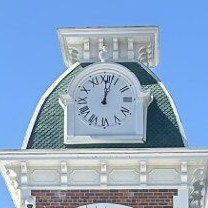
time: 12:02
